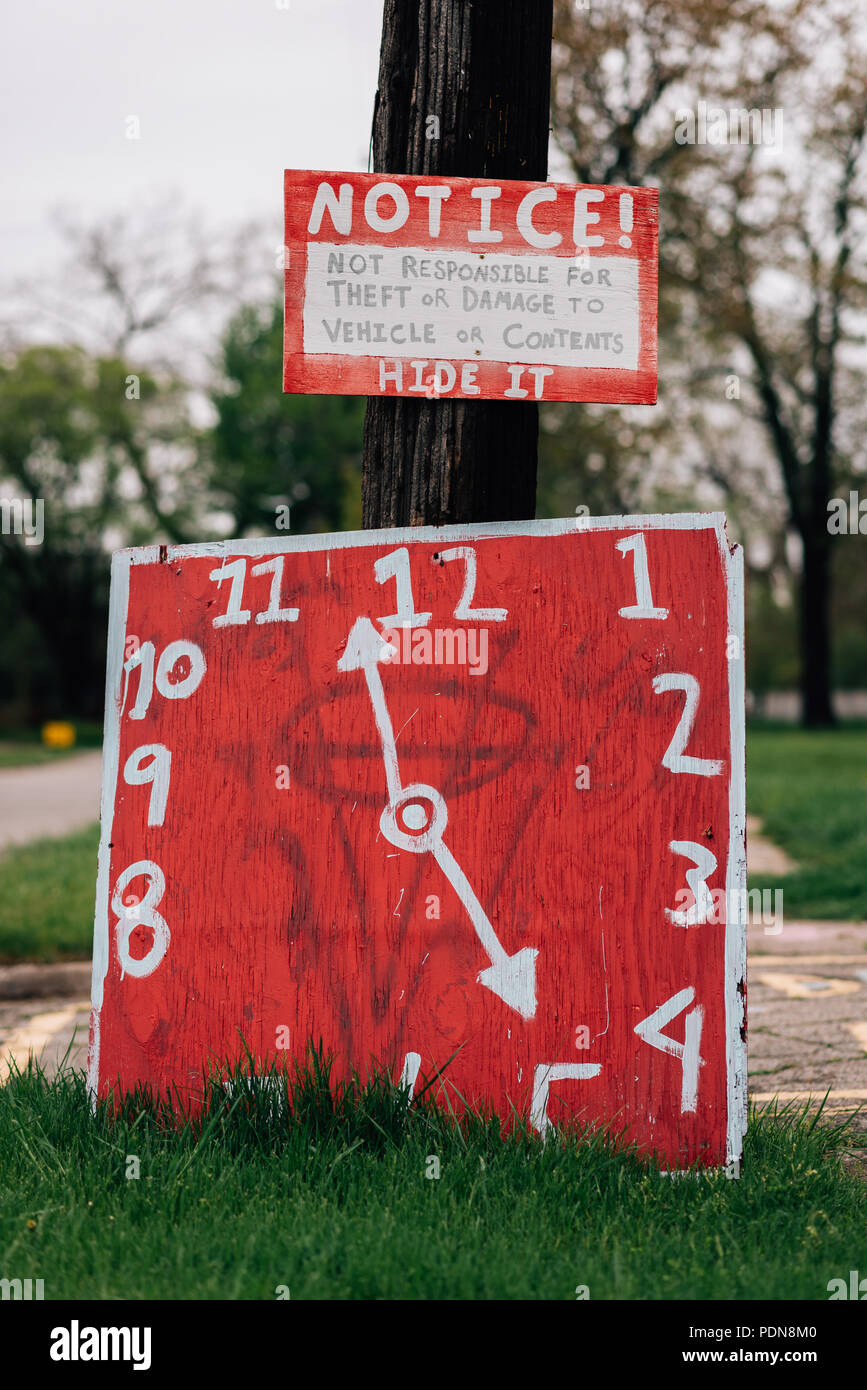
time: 4:57
